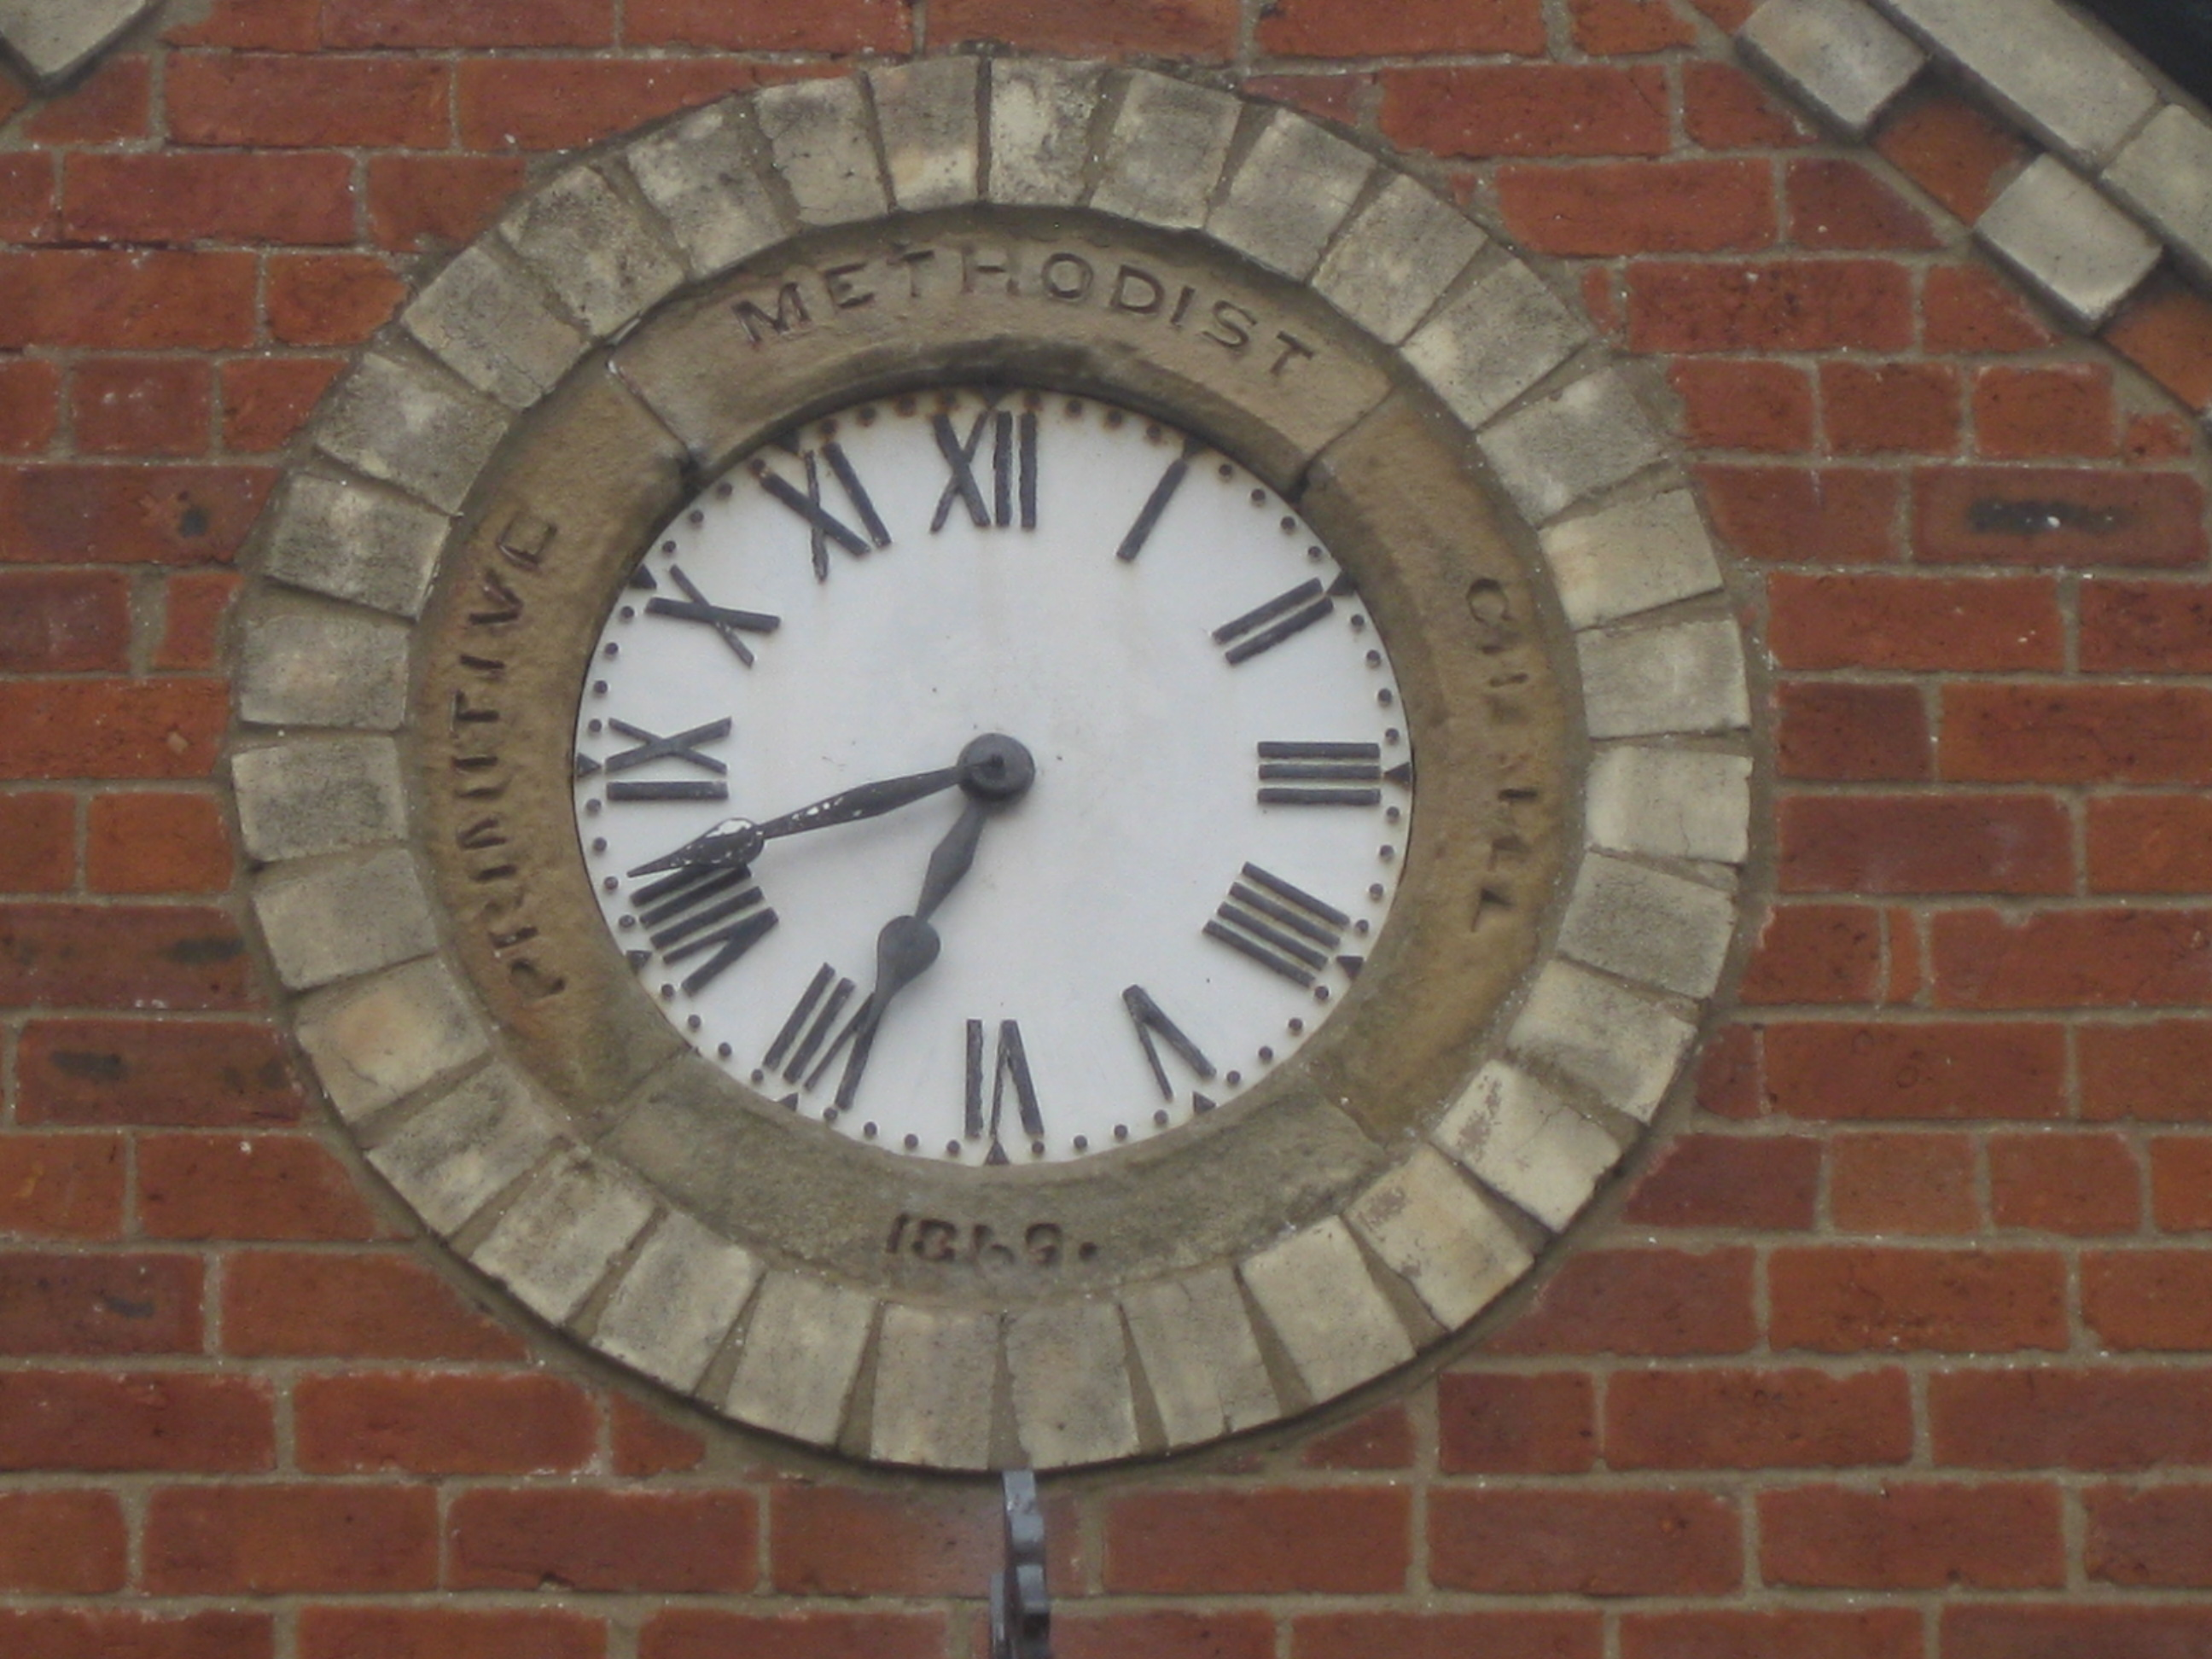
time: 6:41
